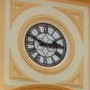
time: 2:48
